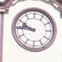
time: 9:45
